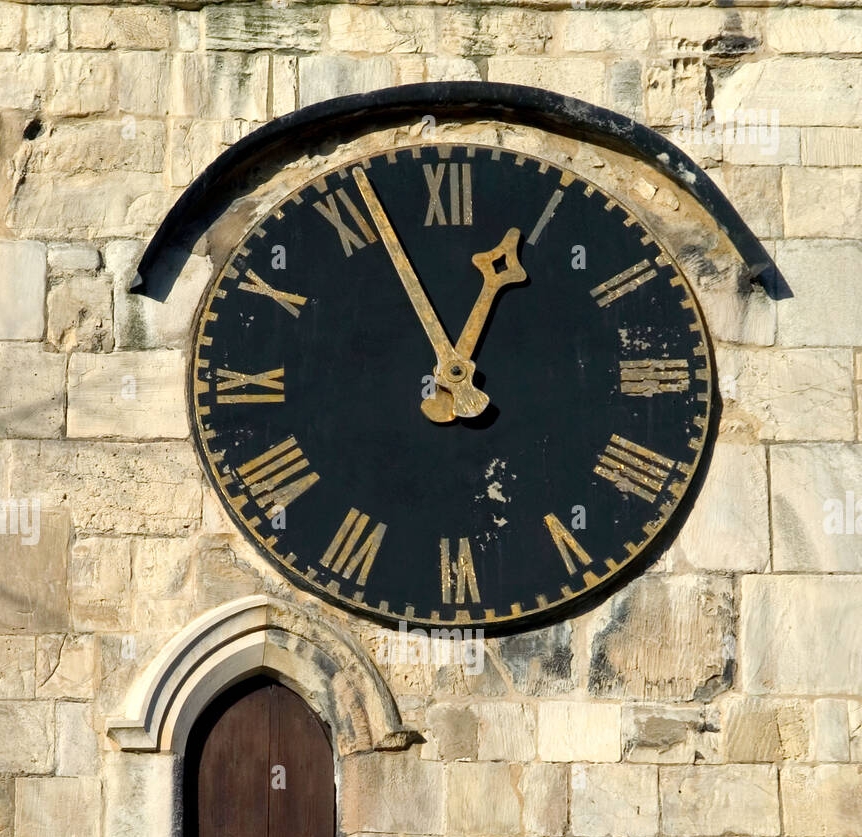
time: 12:56
